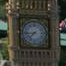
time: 7:44
